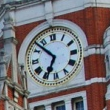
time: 6:52
